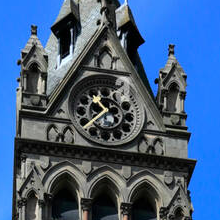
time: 10:38
